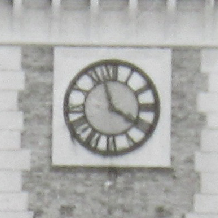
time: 3:57
